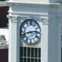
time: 2:42
